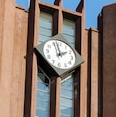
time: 1:57
